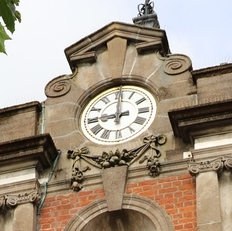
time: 8:59
